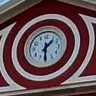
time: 1:30
